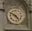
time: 4:50
